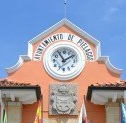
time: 1:54
